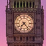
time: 7:23
